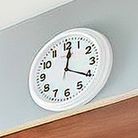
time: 12:20
